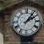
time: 2:06
